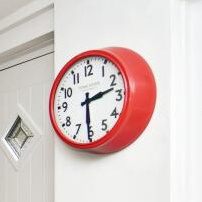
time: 2:30
